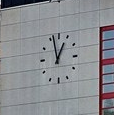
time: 12:57
